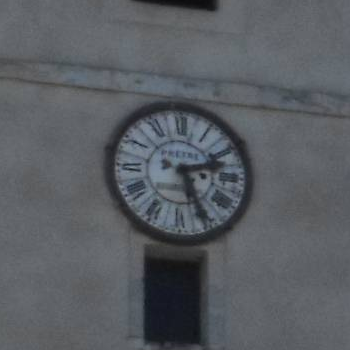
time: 2:25
